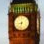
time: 8:32
